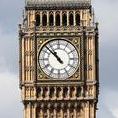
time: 10:52
